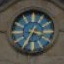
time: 3:34
